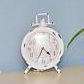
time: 4:34
